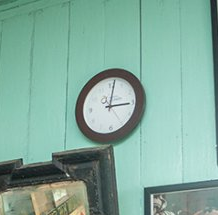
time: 3:01
